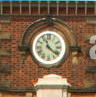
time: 11:21
